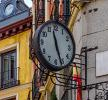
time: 11:26
